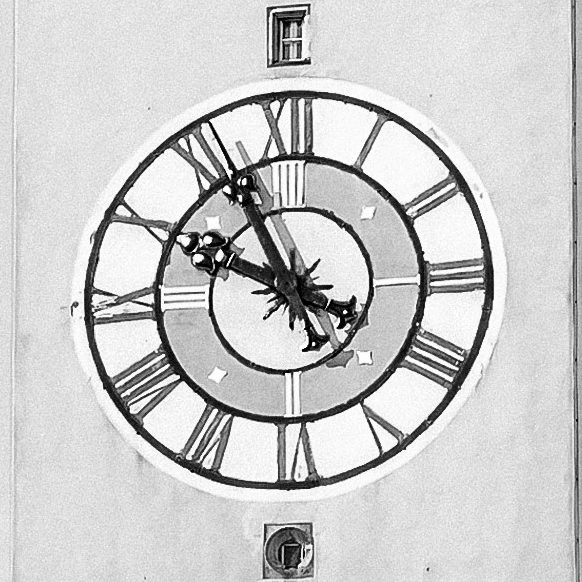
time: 9:55
